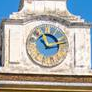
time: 11:13
